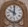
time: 10:00
